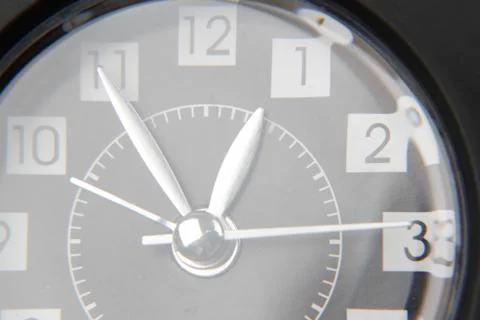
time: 12:54
